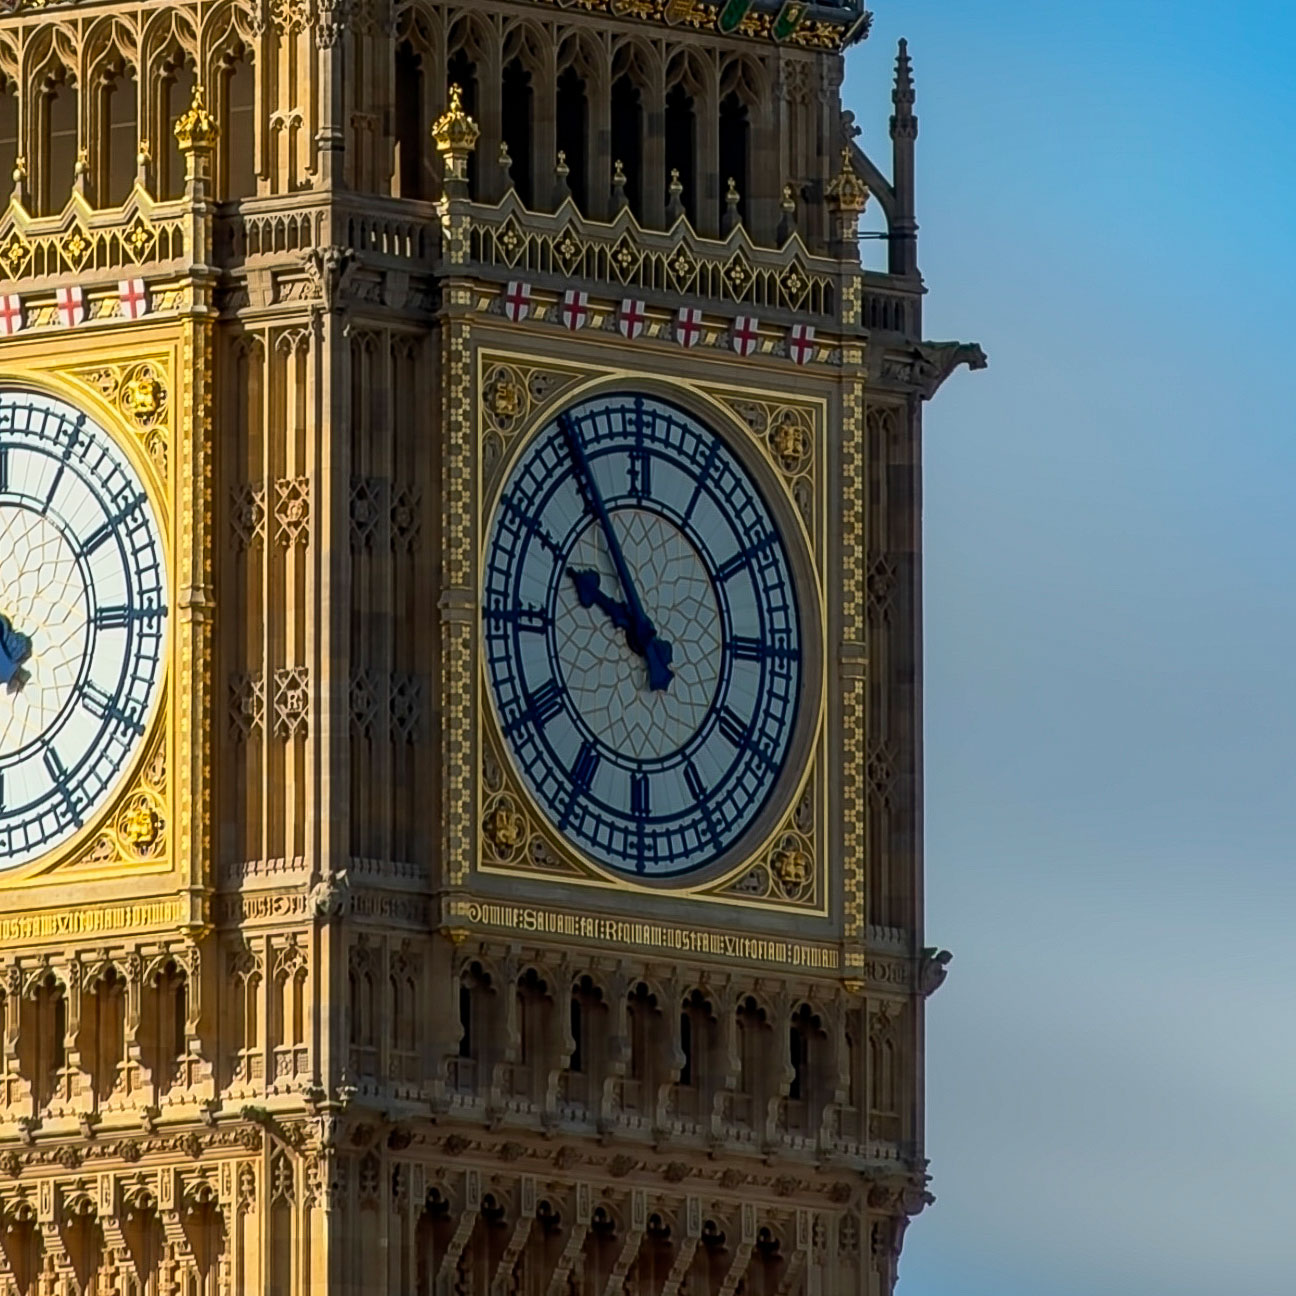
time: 9:54
